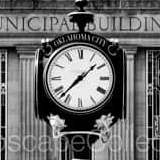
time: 1:37
